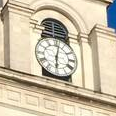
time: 6:02
